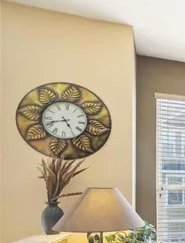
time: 4:42
